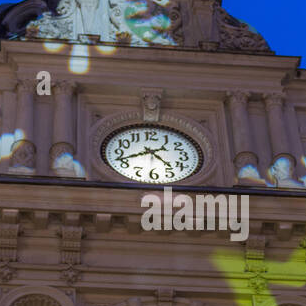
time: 4:41
